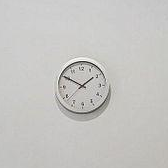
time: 1:50
